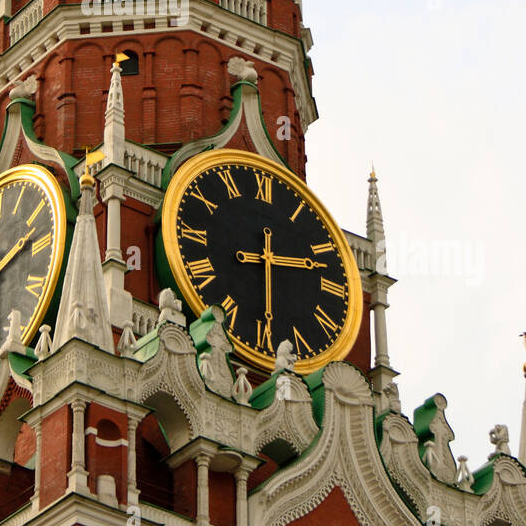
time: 2:29
